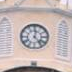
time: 12:23
